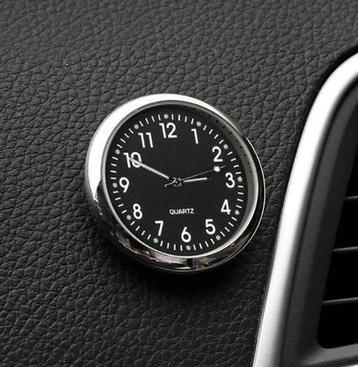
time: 2:50
